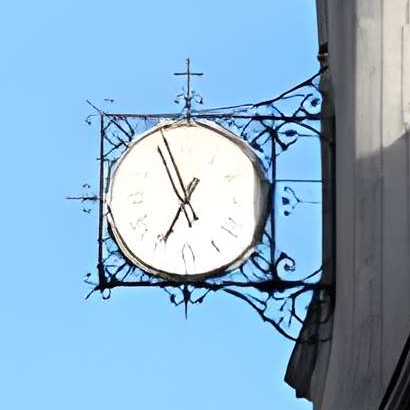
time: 6:56
